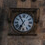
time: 6:54
